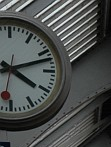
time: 4:12
